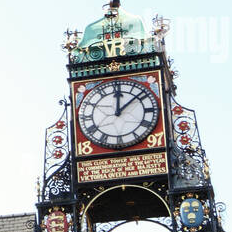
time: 12:08
